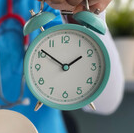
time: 1:50
